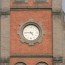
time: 4:45
